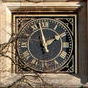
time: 1:57
